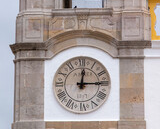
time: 12:14
